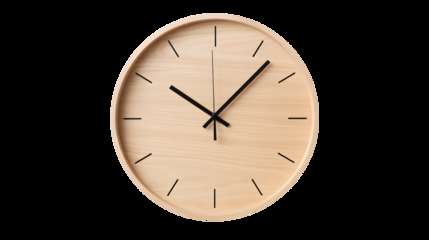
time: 10:07
